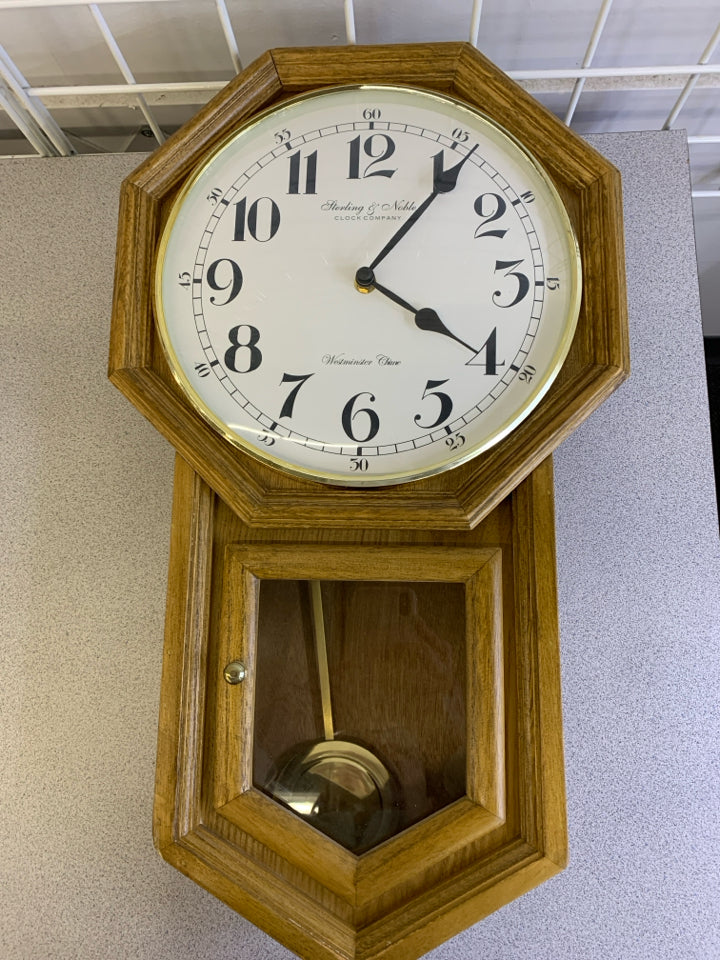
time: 4:06
